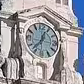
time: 12:37
